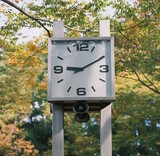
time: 9:10
